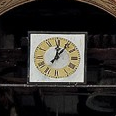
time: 12:06
